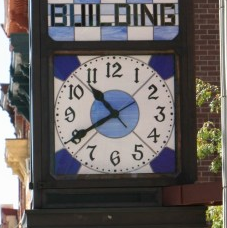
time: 10:40
